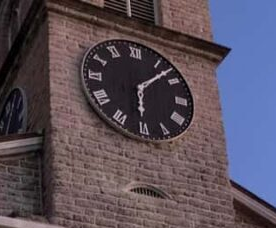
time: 6:07
